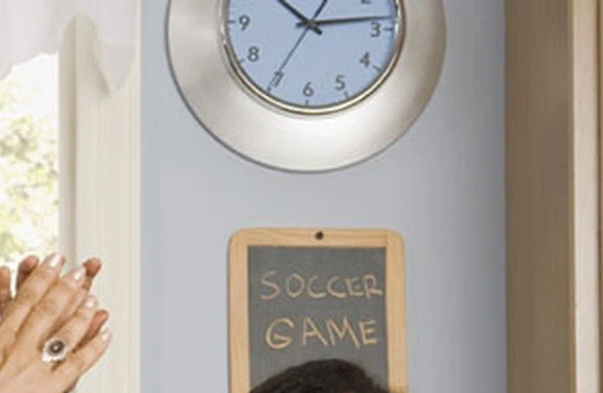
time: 10:13
